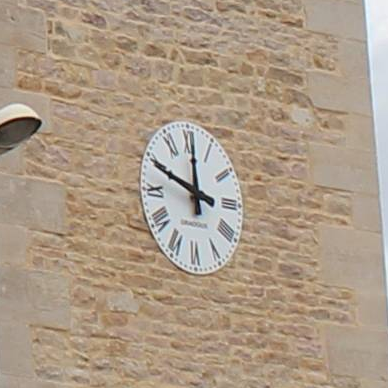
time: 10:00
